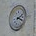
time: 2:18
